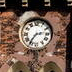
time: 2:36
